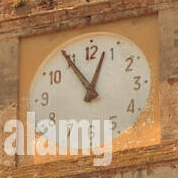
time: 12:54
